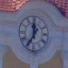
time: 11:35
